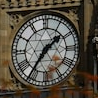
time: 1:36
